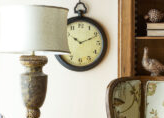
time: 10:11
